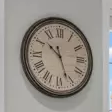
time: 10:26
